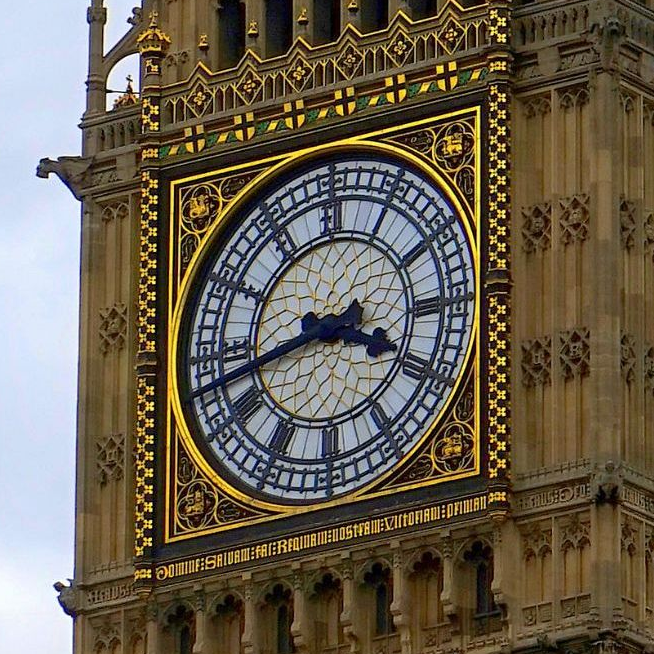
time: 3:42
